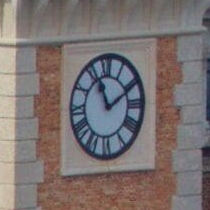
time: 11:10
